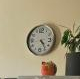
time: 4:23
